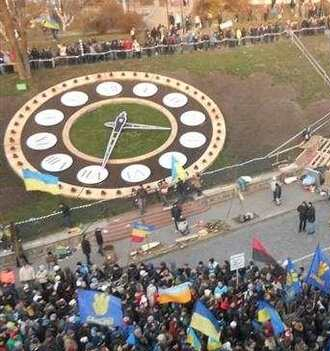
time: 3:32
